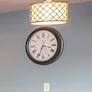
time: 3:33
